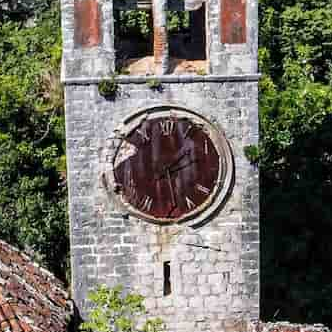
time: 1:28
